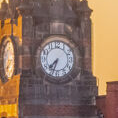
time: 7:33
